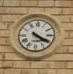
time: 4:19
